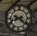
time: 8:21
